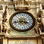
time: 3:42
